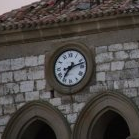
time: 7:12
